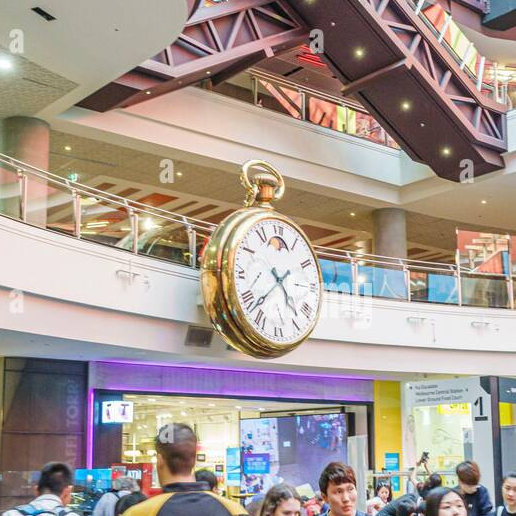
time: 4:37
